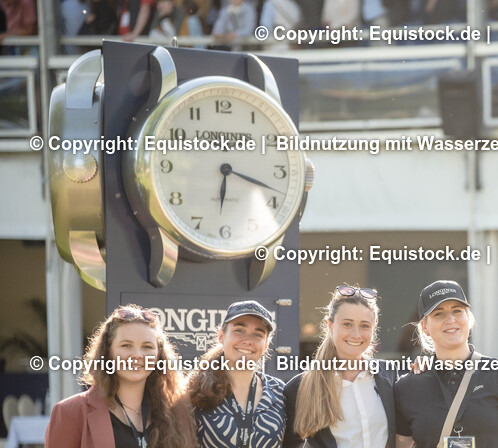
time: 6:18
